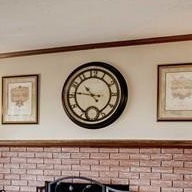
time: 10:46
